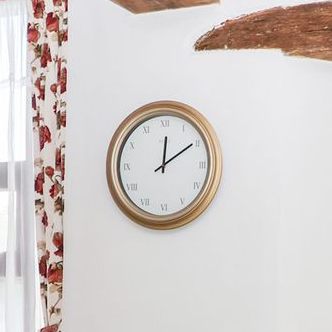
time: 12:09
